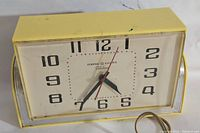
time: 4:35
